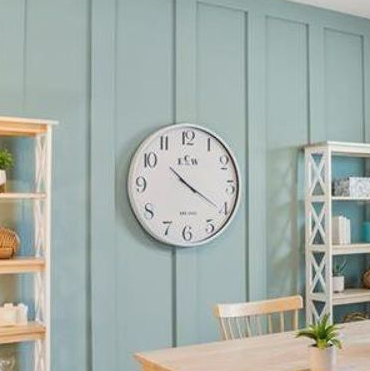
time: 10:20
